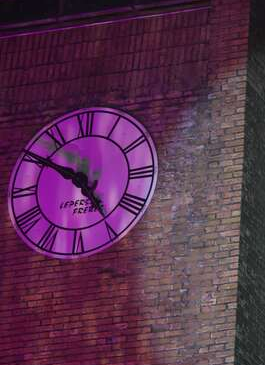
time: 4:50
